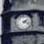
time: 2:18
